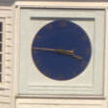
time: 3:45
